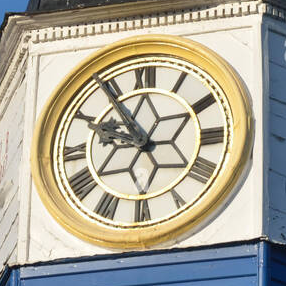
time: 9:54
